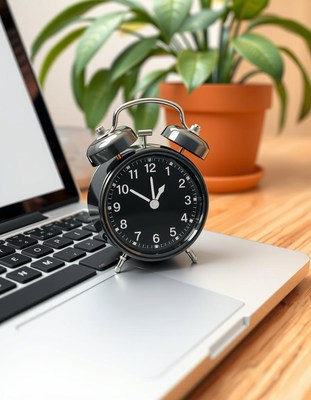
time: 11:50
